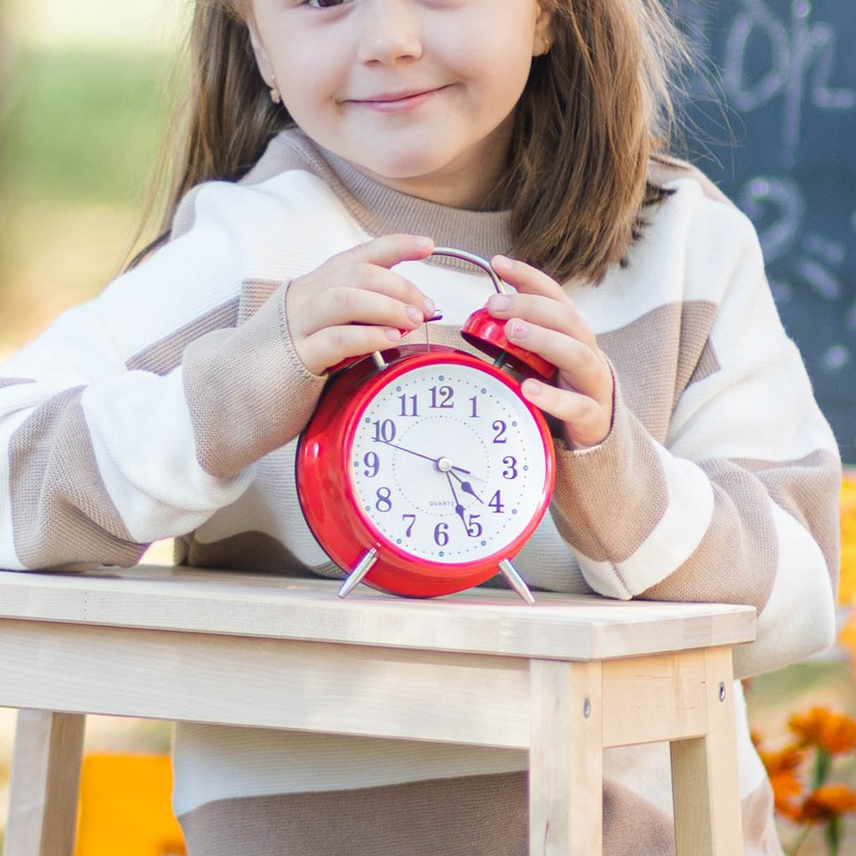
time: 4:26
